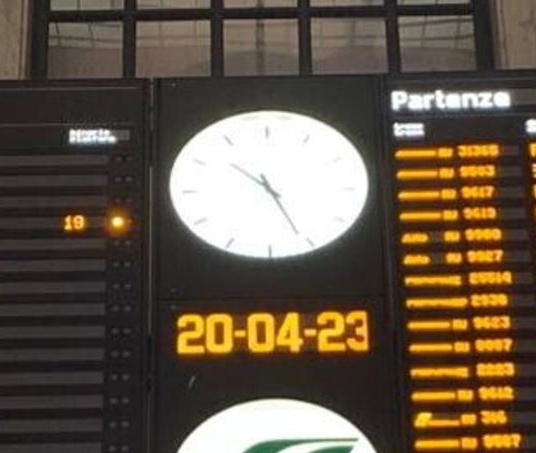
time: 10:25
